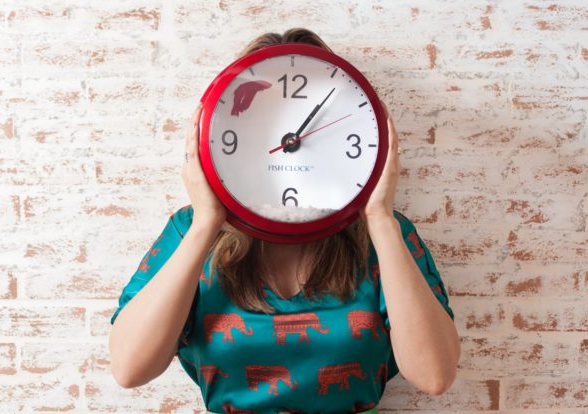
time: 1:06
